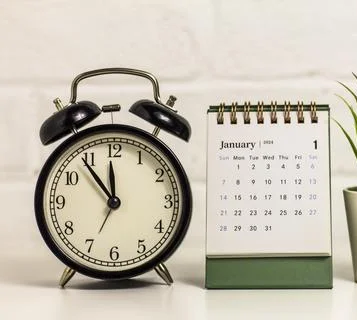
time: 11:54
